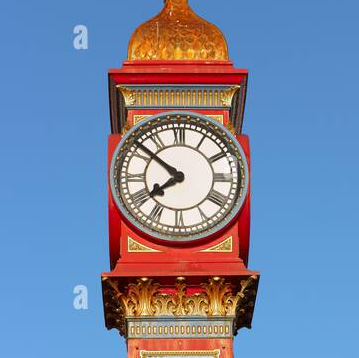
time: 7:51
